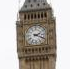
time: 2:18
